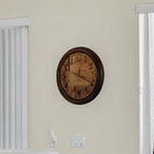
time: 12:19
